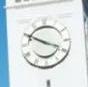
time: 3:50
